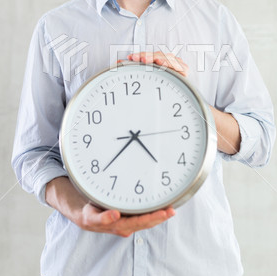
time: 4:38
